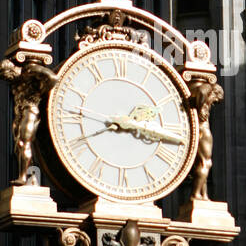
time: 3:16
